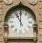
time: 11:00
